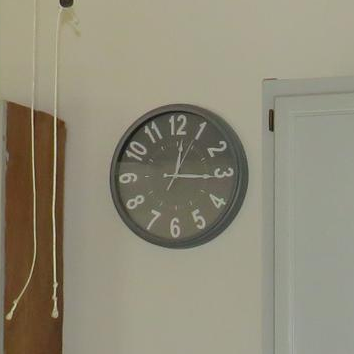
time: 12:15
